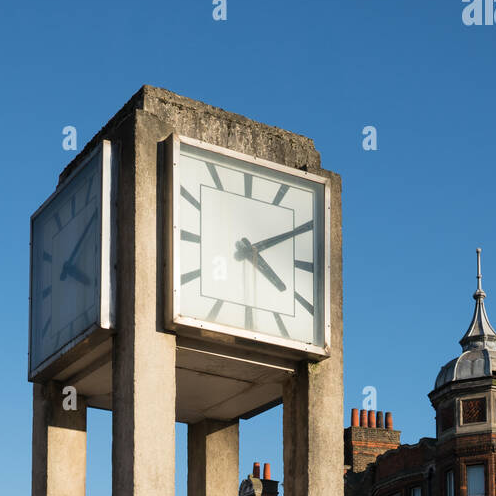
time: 4:10
